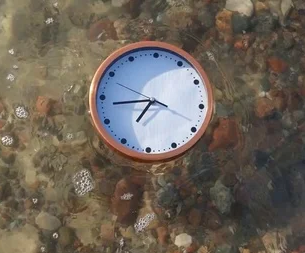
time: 6:43
